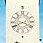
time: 3:40
